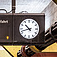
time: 10:42
